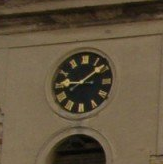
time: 9:08
